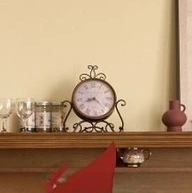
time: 8:22
